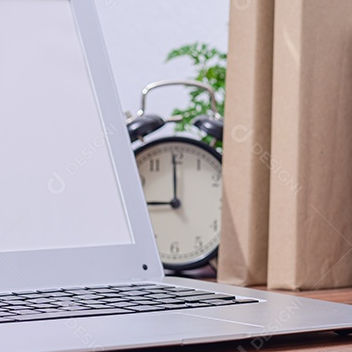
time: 8:59
